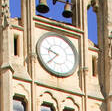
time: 9:38
